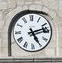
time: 5:12
